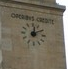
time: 12:10
